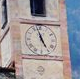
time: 4:57
